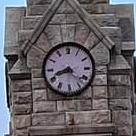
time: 8:22
